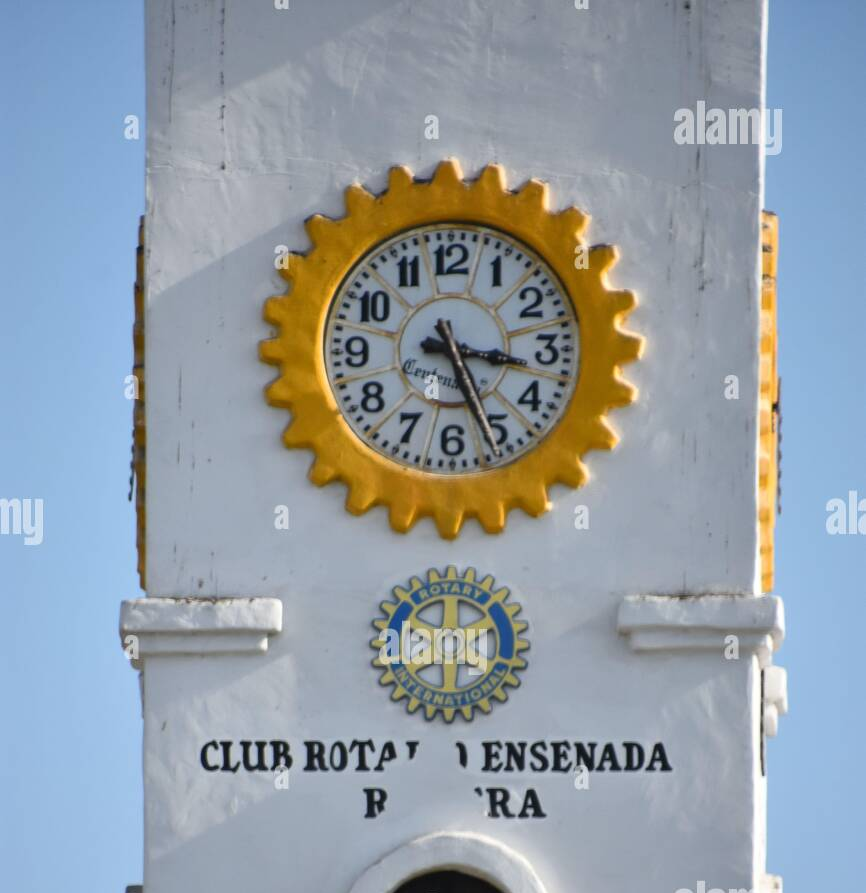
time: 3:26
